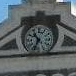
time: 10:34
